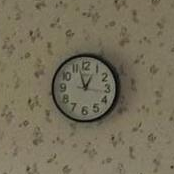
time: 12:57
